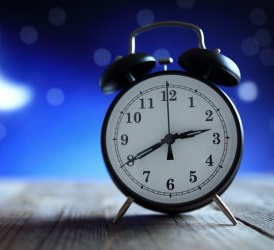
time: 2:40
